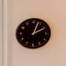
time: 2:03
